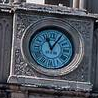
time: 11:05
